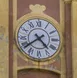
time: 4:38
